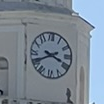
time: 3:40
